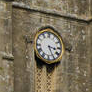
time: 3:25
